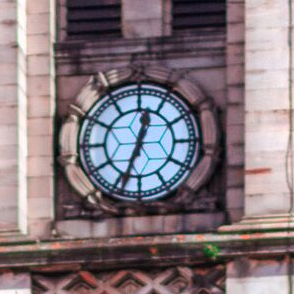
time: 12:33
